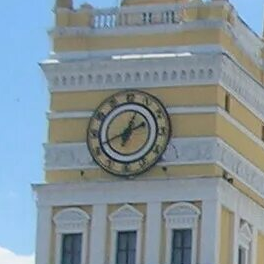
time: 12:41
